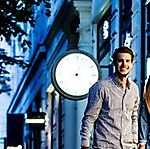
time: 8:03
